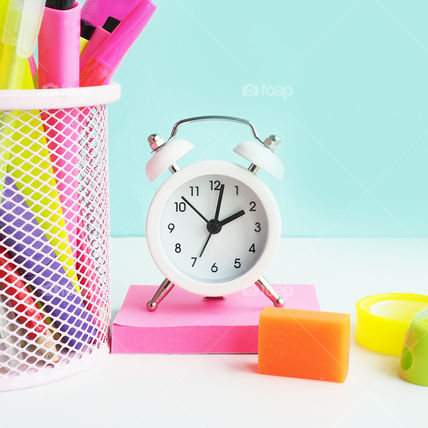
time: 2:01
